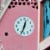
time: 12:33
